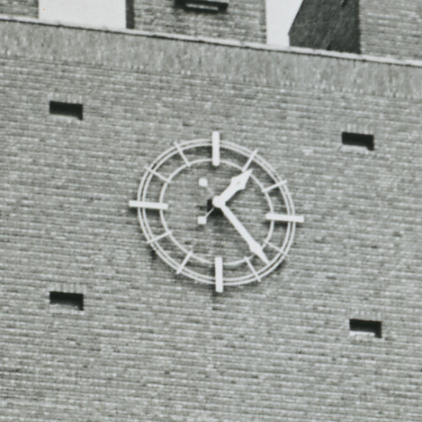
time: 1:23
